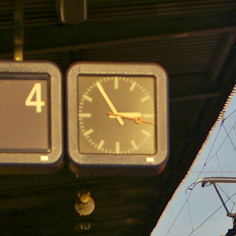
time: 2:54
